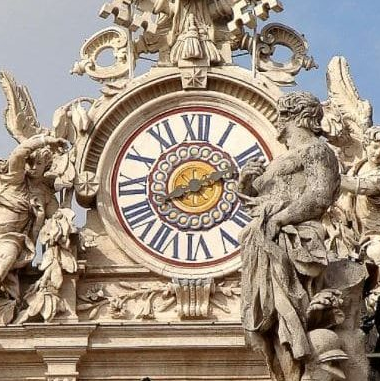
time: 8:12
